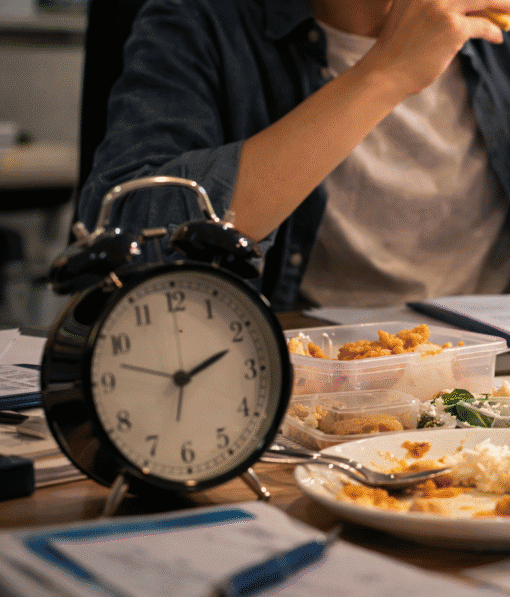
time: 2:11
